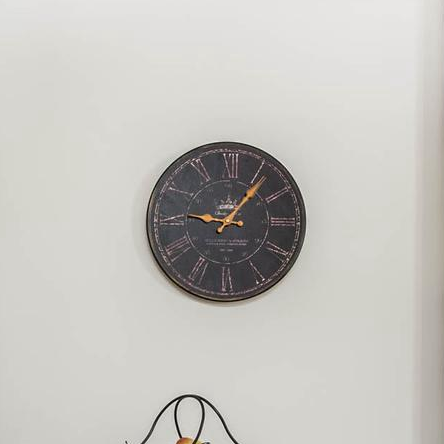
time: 9:06
